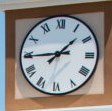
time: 1:44
